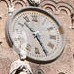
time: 10:25
